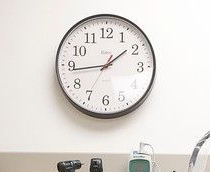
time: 1:43
